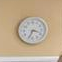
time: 3:34
